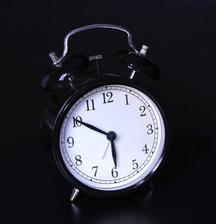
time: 5:50
